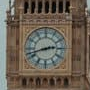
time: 2:42
